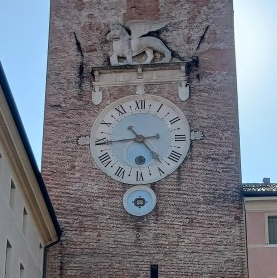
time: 4:44
